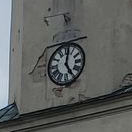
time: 5:01
